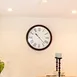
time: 10:22
